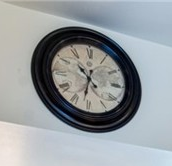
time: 10:31
